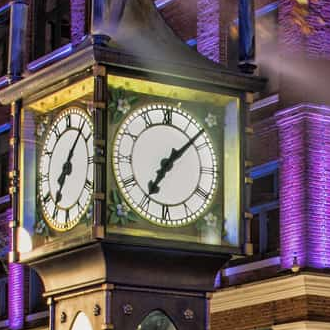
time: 7:07
